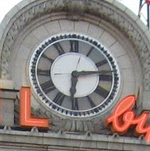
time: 6:13
